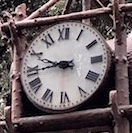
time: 9:44
